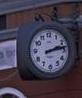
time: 2:13
